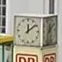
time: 12:08
